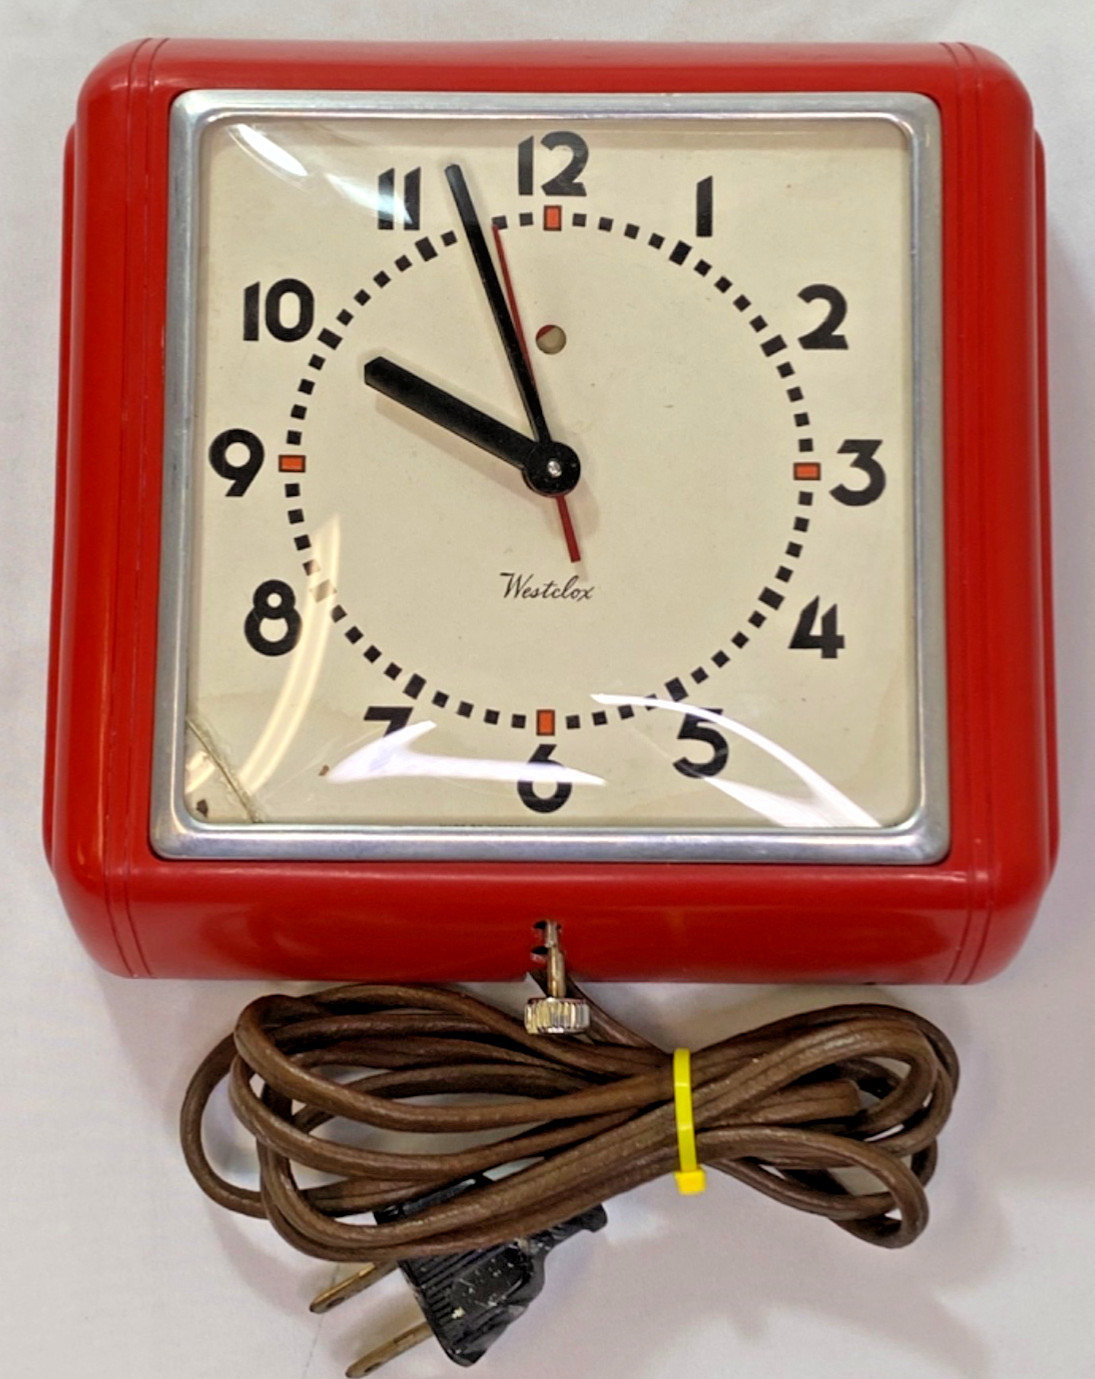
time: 9:57
